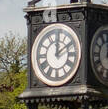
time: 12:09
